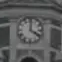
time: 4:00
